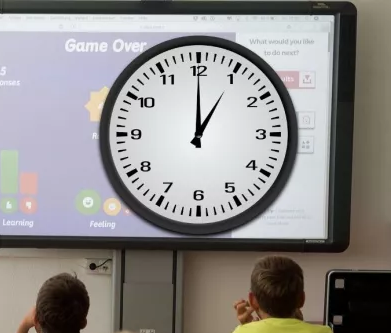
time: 1:00
